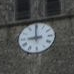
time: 8:59
